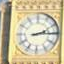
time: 2:14
